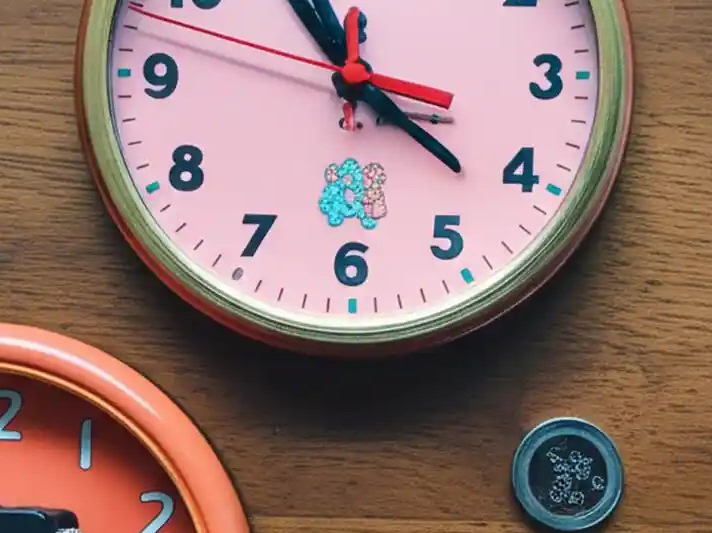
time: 11:21
